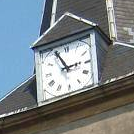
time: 2:55
